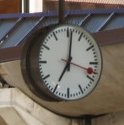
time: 7:01
